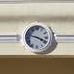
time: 3:47
